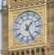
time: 1:25
